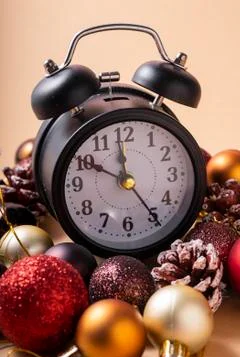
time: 11:50
